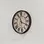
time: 11:18
